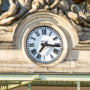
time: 7:16
